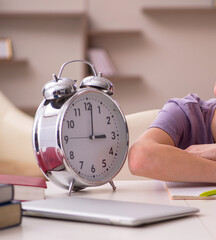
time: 3:01
